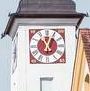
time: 11:04
